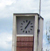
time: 7:06
